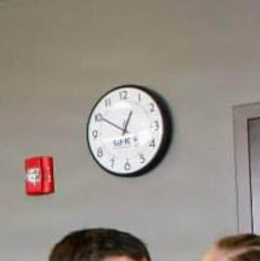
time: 12:50
